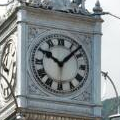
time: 10:07
